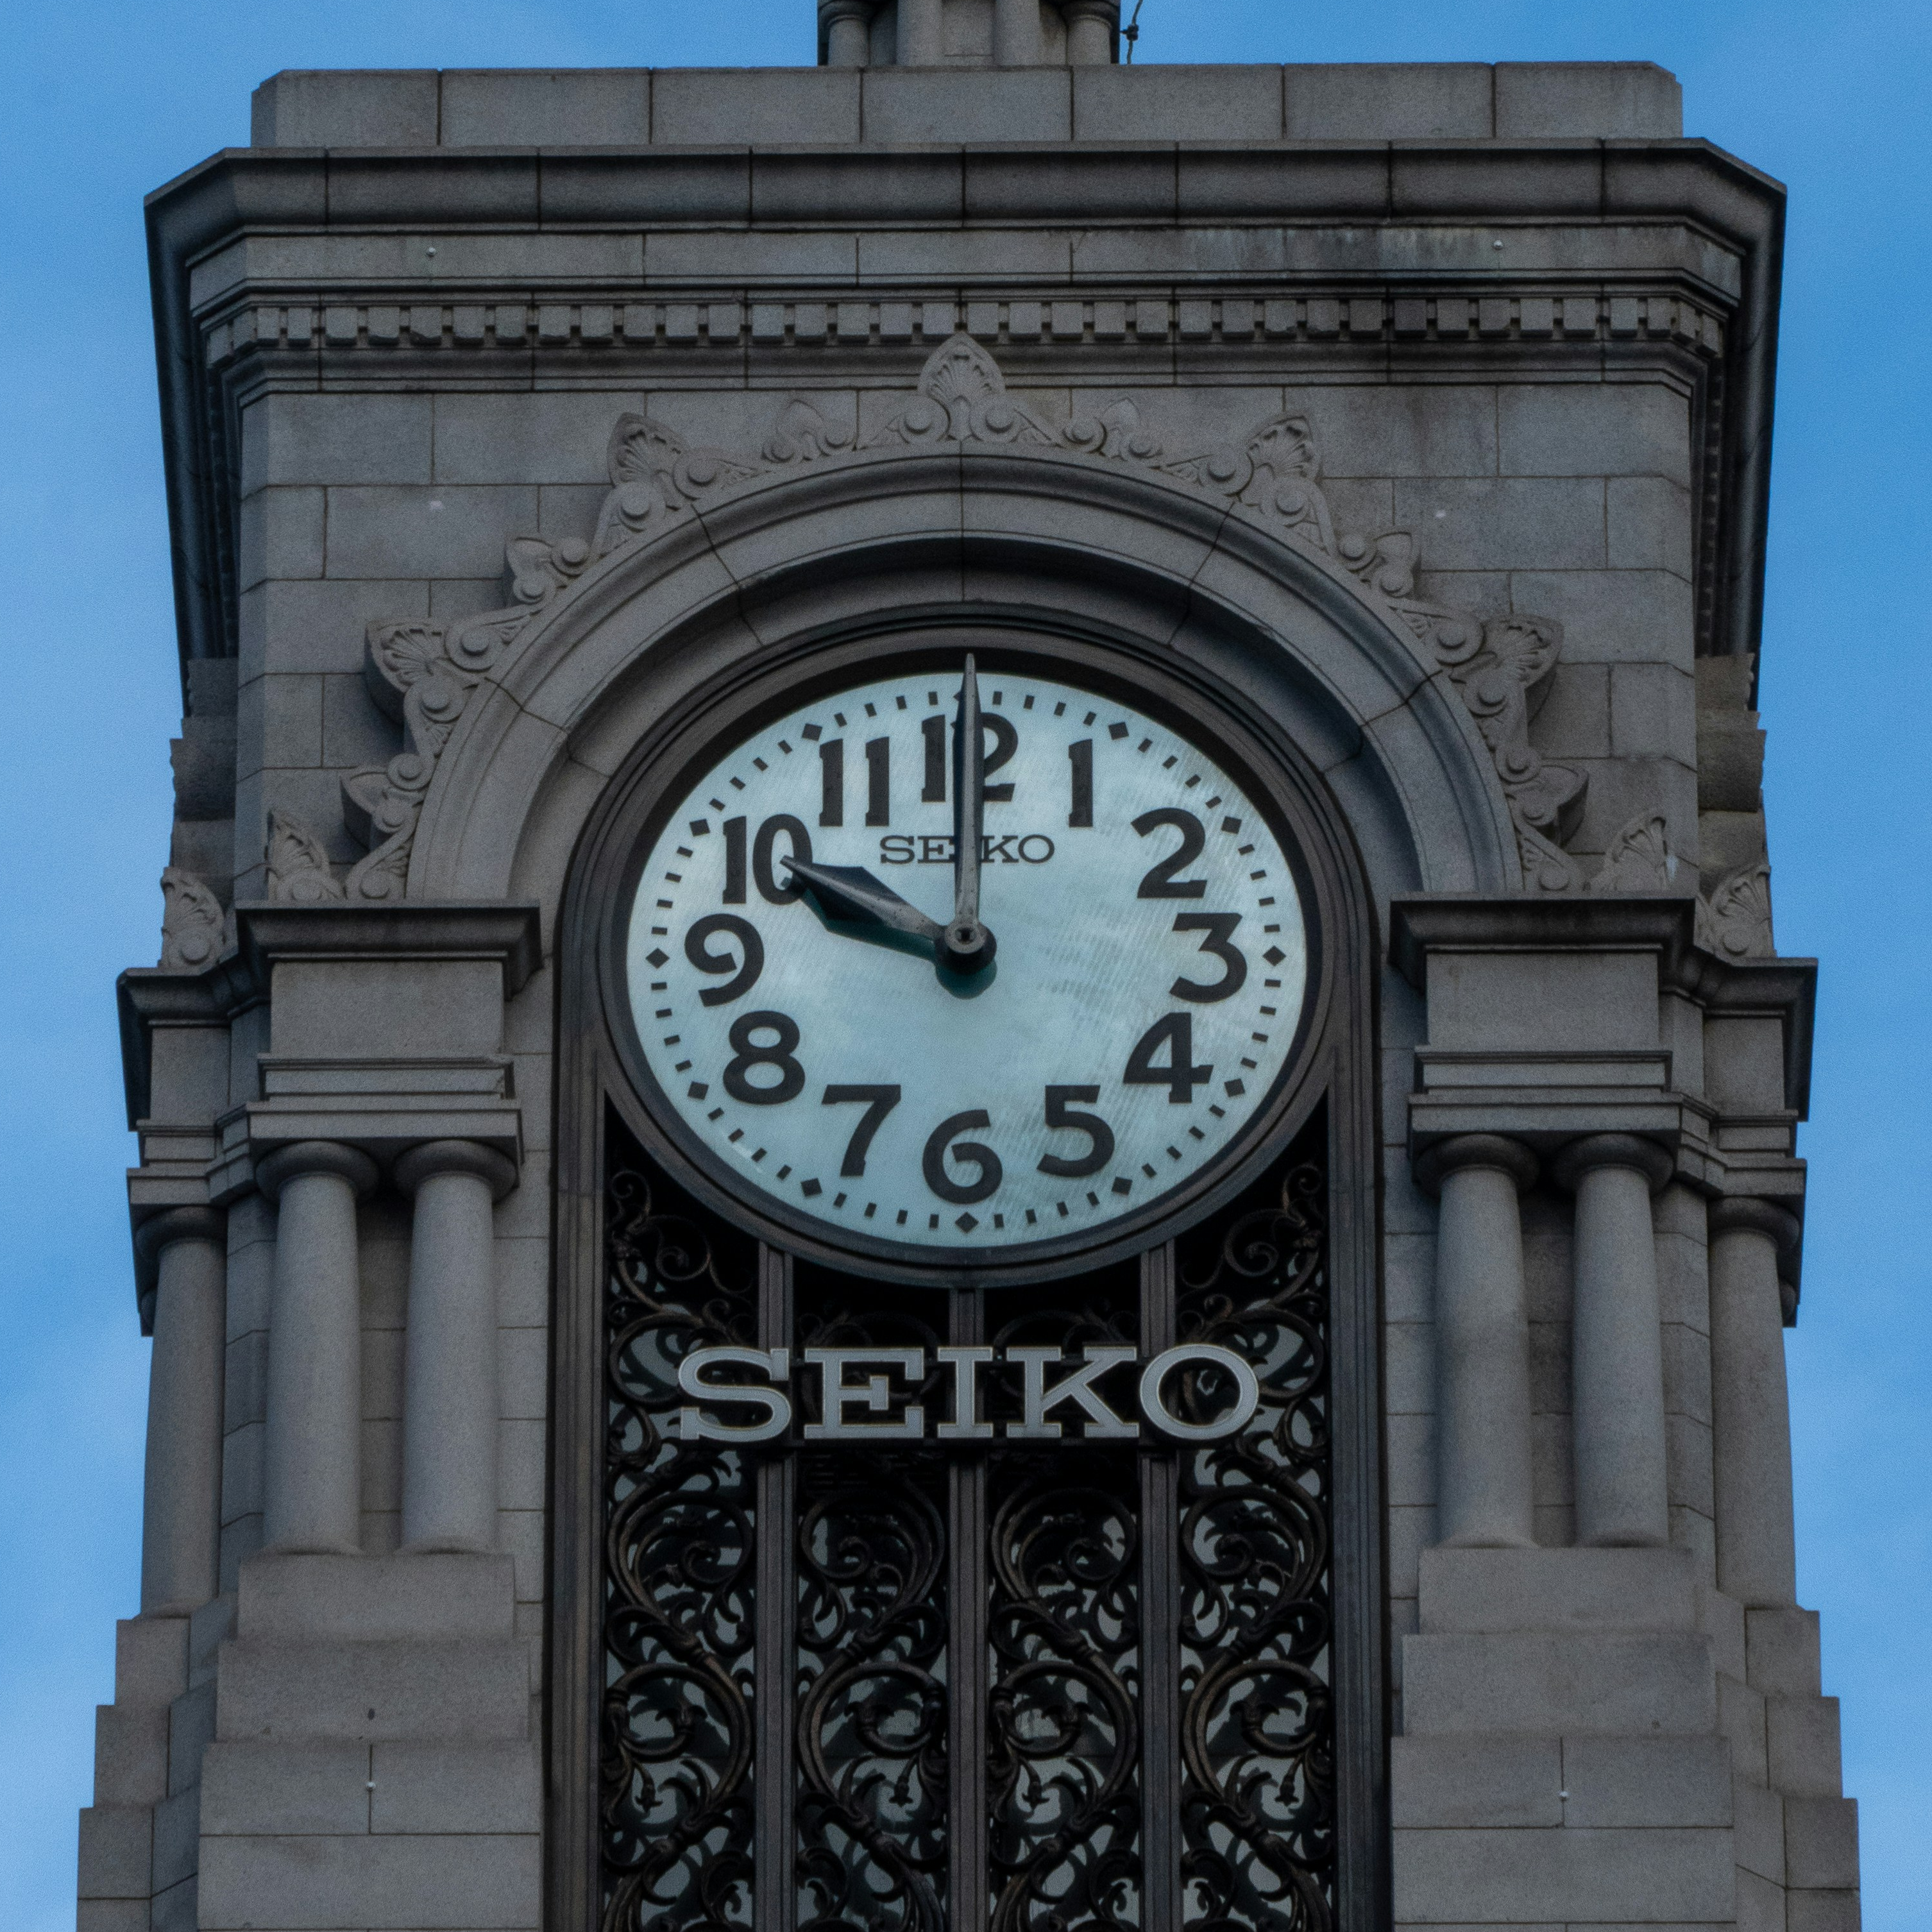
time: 10:00
